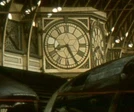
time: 8:25
